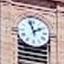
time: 1:57
